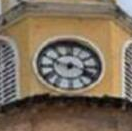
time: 3:48
